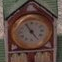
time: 4:55
